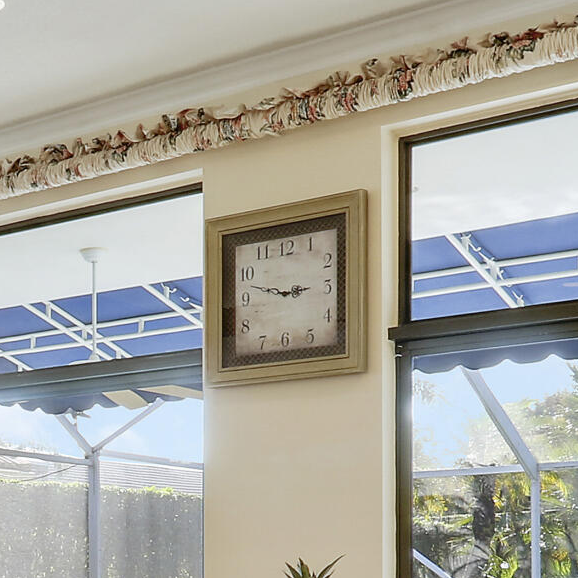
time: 2:47
